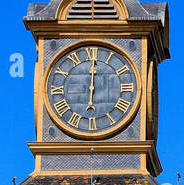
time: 6:00
